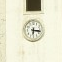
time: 6:16
